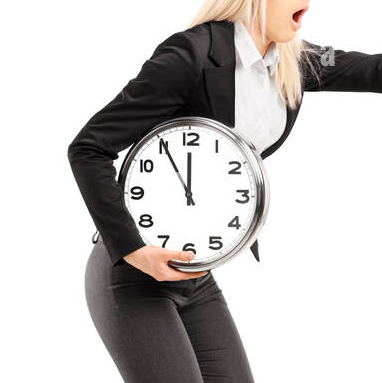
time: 11:55
